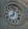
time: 8:03
